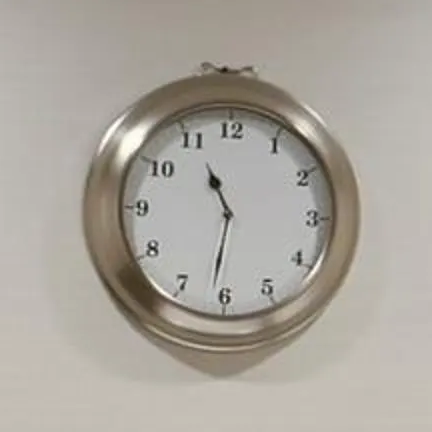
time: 11:31
